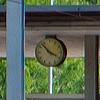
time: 3:52
